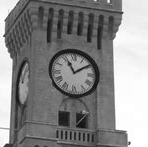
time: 11:09
